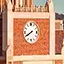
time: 7:40
